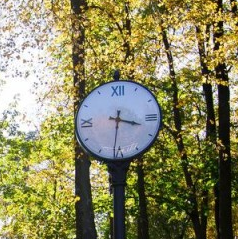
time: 3:31
